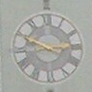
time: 2:49
